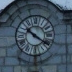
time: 10:20
